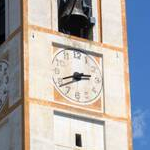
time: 2:40
